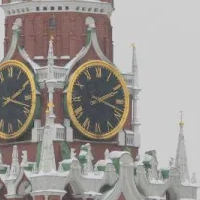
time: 2:18
